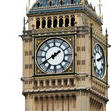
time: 1:40
